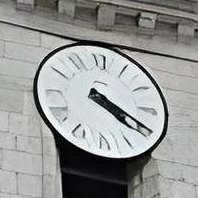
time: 4:19
